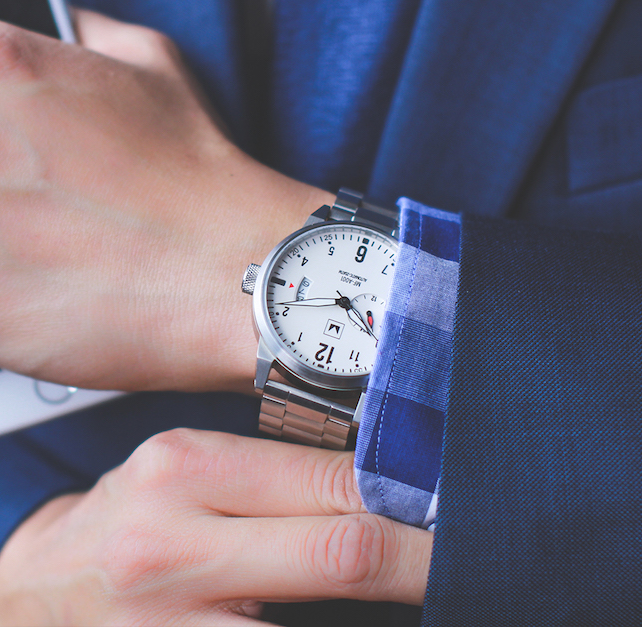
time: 3:42
